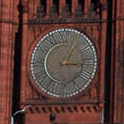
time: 1:16
